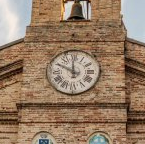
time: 11:49
